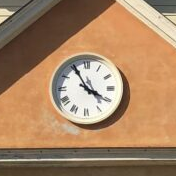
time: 3:55
